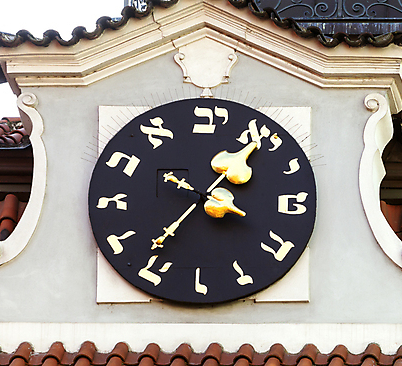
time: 1:36
